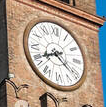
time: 8:21
